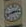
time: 2:42
